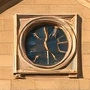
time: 12:28
